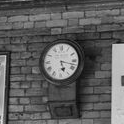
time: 5:17
